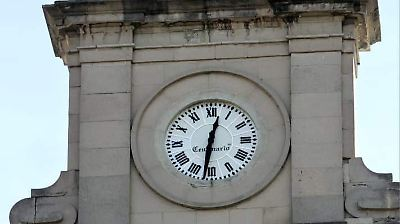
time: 12:31
